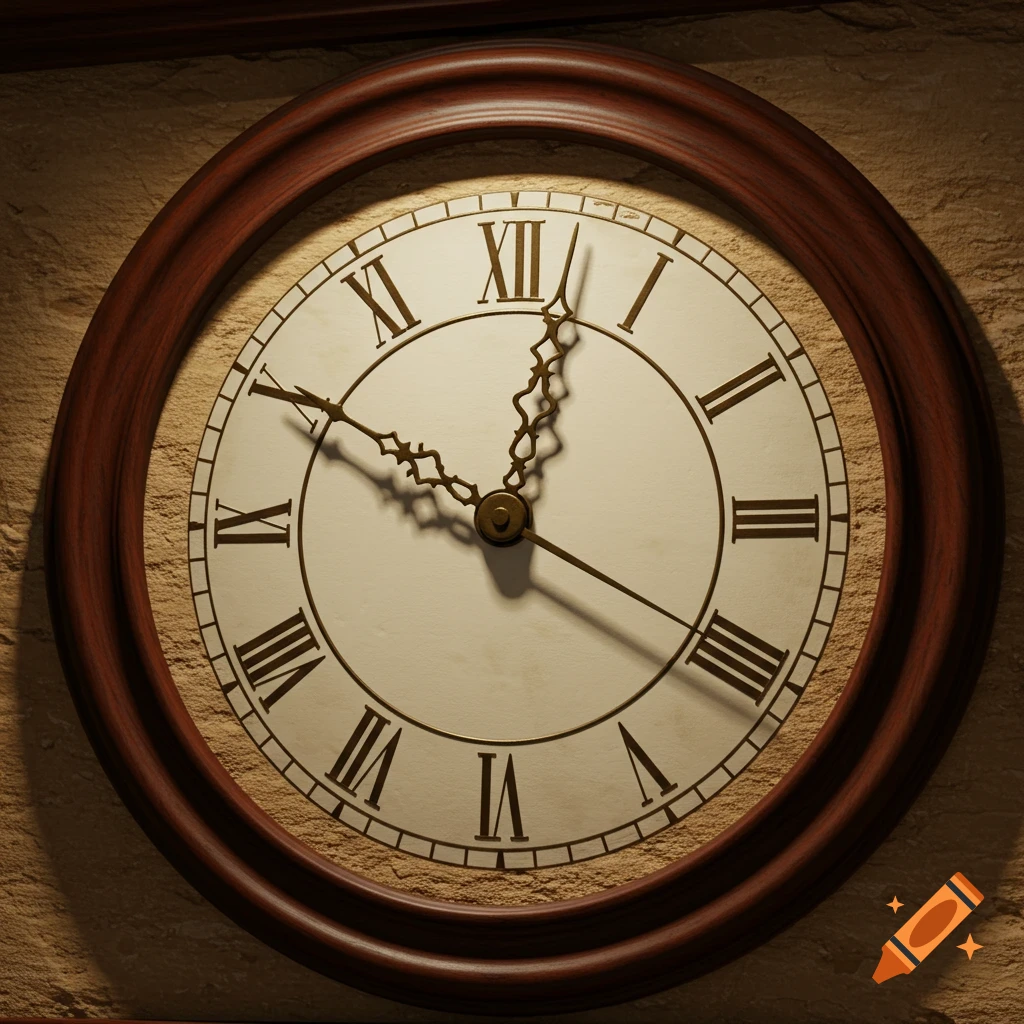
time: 10:01
